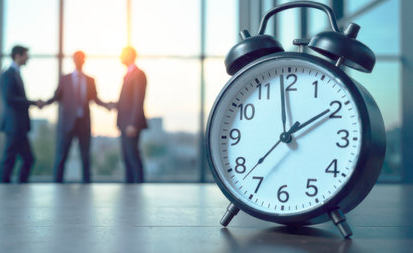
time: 1:58
